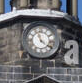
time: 11:21
